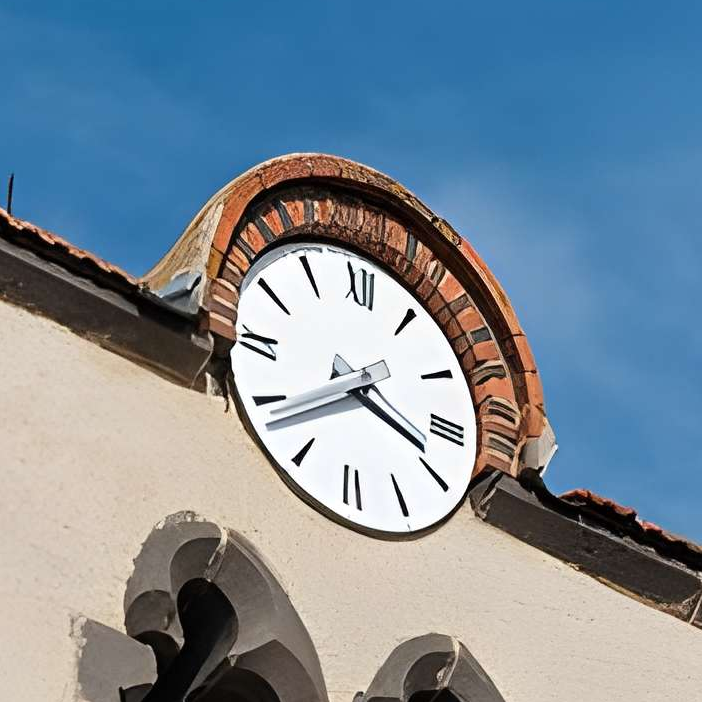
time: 3:38
